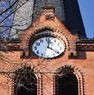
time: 12:21
